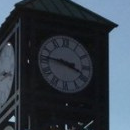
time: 3:46
